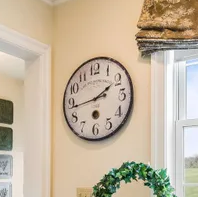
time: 1:43
